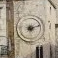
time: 6:11
